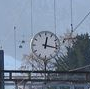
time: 12:16
